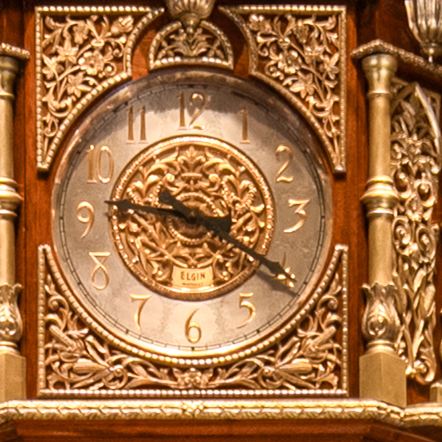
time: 9:20
